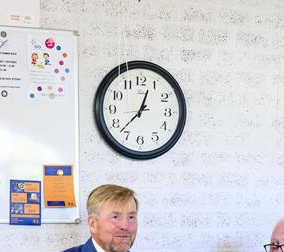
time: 12:37
